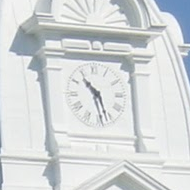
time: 10:27
